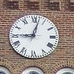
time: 9:02
